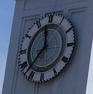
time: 11:37
